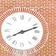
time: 8:11
